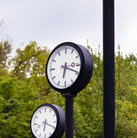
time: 6:18
